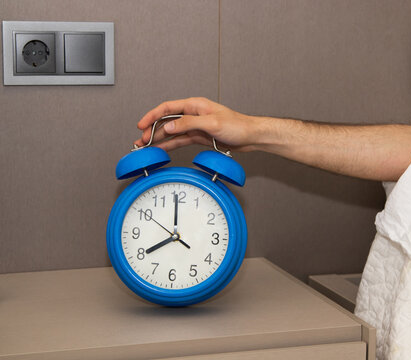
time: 7:59
